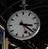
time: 3:21
